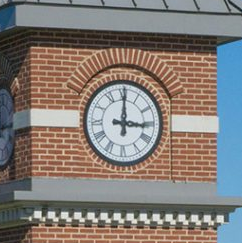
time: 3:00
